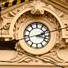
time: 2:17
